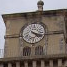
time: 4:17
